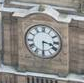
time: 3:29
